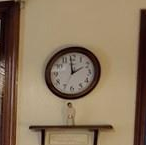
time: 1:59
